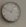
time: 12:49
